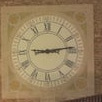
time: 9:13
